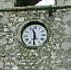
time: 11:30
